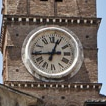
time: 12:44
